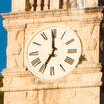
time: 6:59
